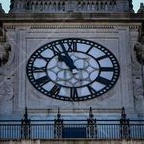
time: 10:56
